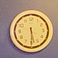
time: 5:29
